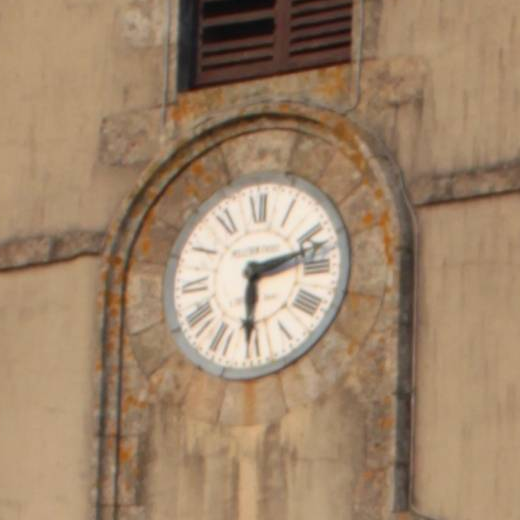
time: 6:12
